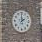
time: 1:59
